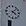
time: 4:07
